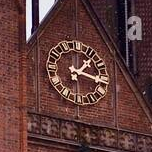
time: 1:16
